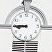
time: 8:45
